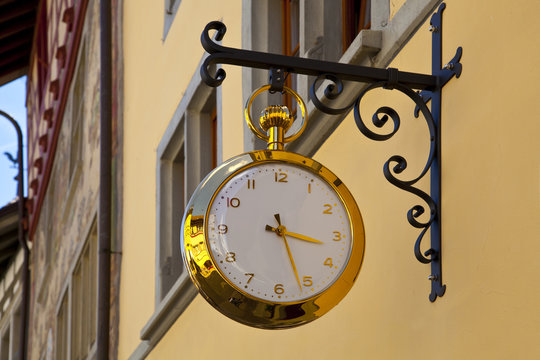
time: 3:26
